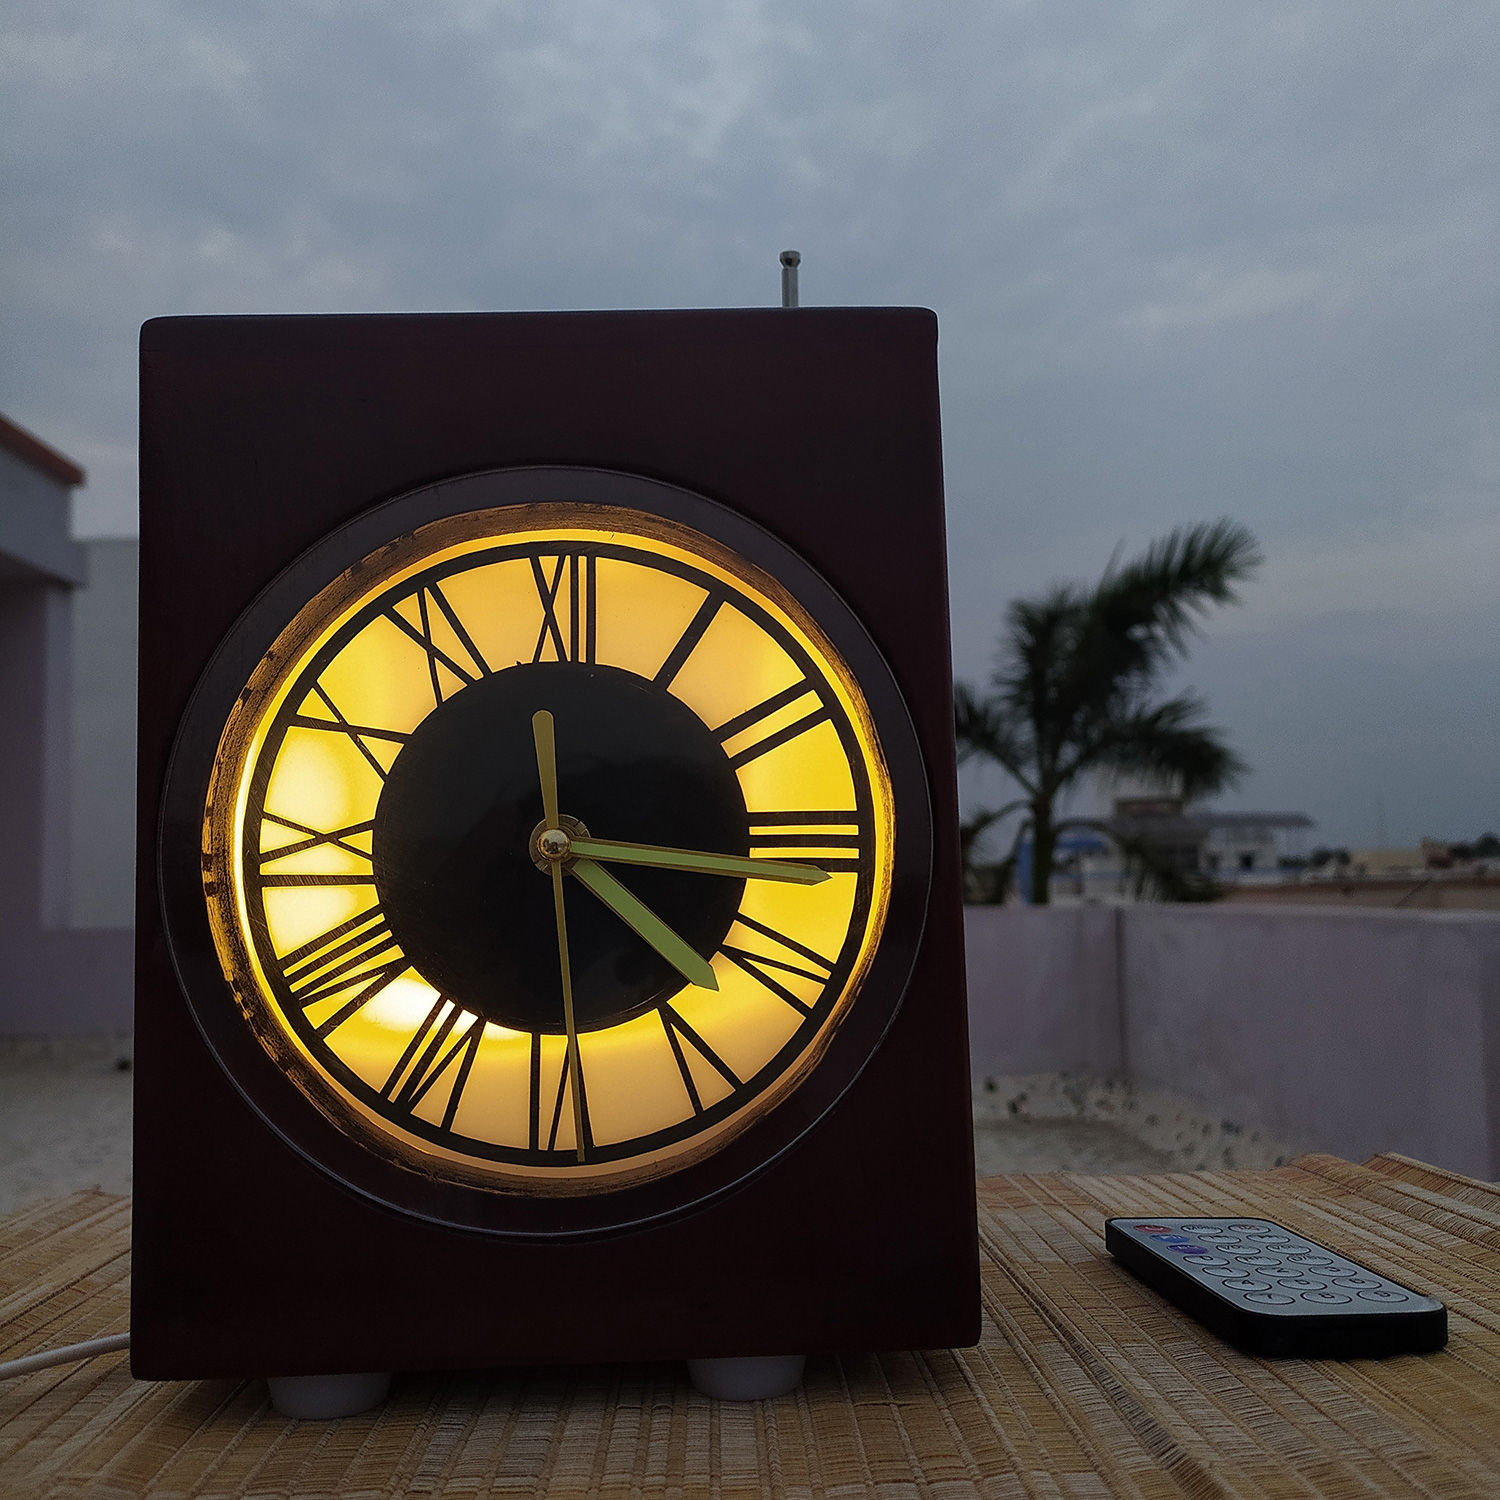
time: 3:22
